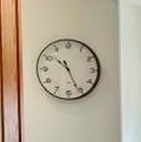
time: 10:25
